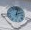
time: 2:02
